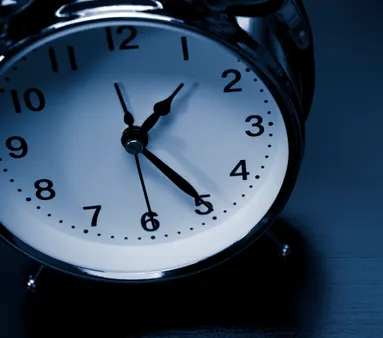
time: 1:24
